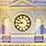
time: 8:50
